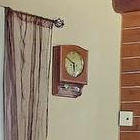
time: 5:49
